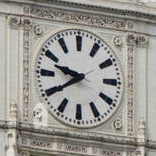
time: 9:39
